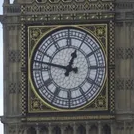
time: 12:47
